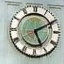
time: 5:10
